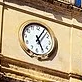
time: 5:05
